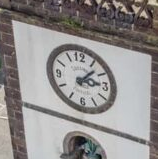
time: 3:07
